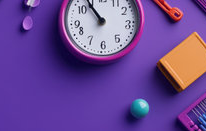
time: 10:54
